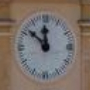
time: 11:51
